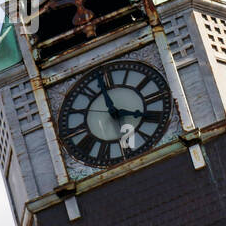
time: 3:58
